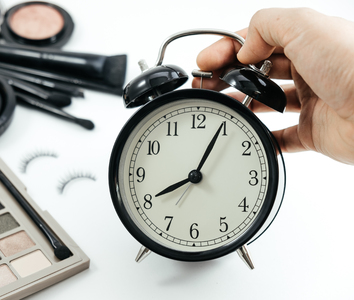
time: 8:04
